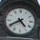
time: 4:40
